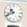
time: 10:41
